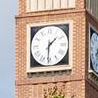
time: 1:30
